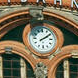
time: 2:09
